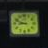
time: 8:48
